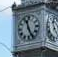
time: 11:25
